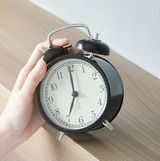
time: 7:00
